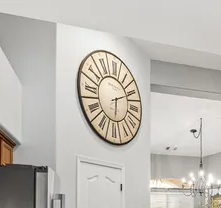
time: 6:10
